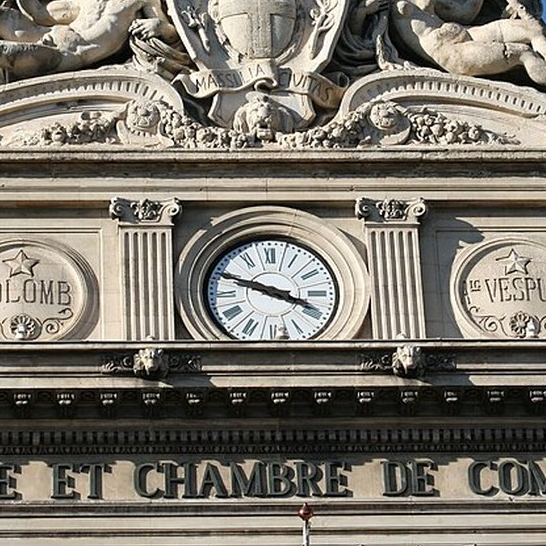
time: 3:48
